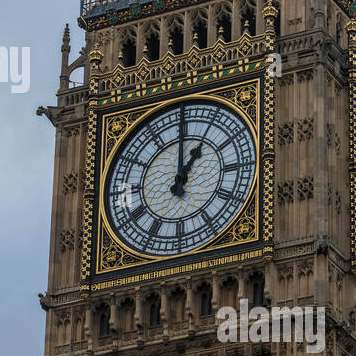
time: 1:00
